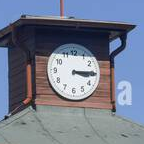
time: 3:14
